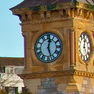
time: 12:26
